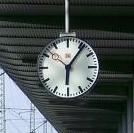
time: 6:06
